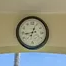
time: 12:43
